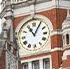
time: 11:05
